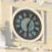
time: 6:05
